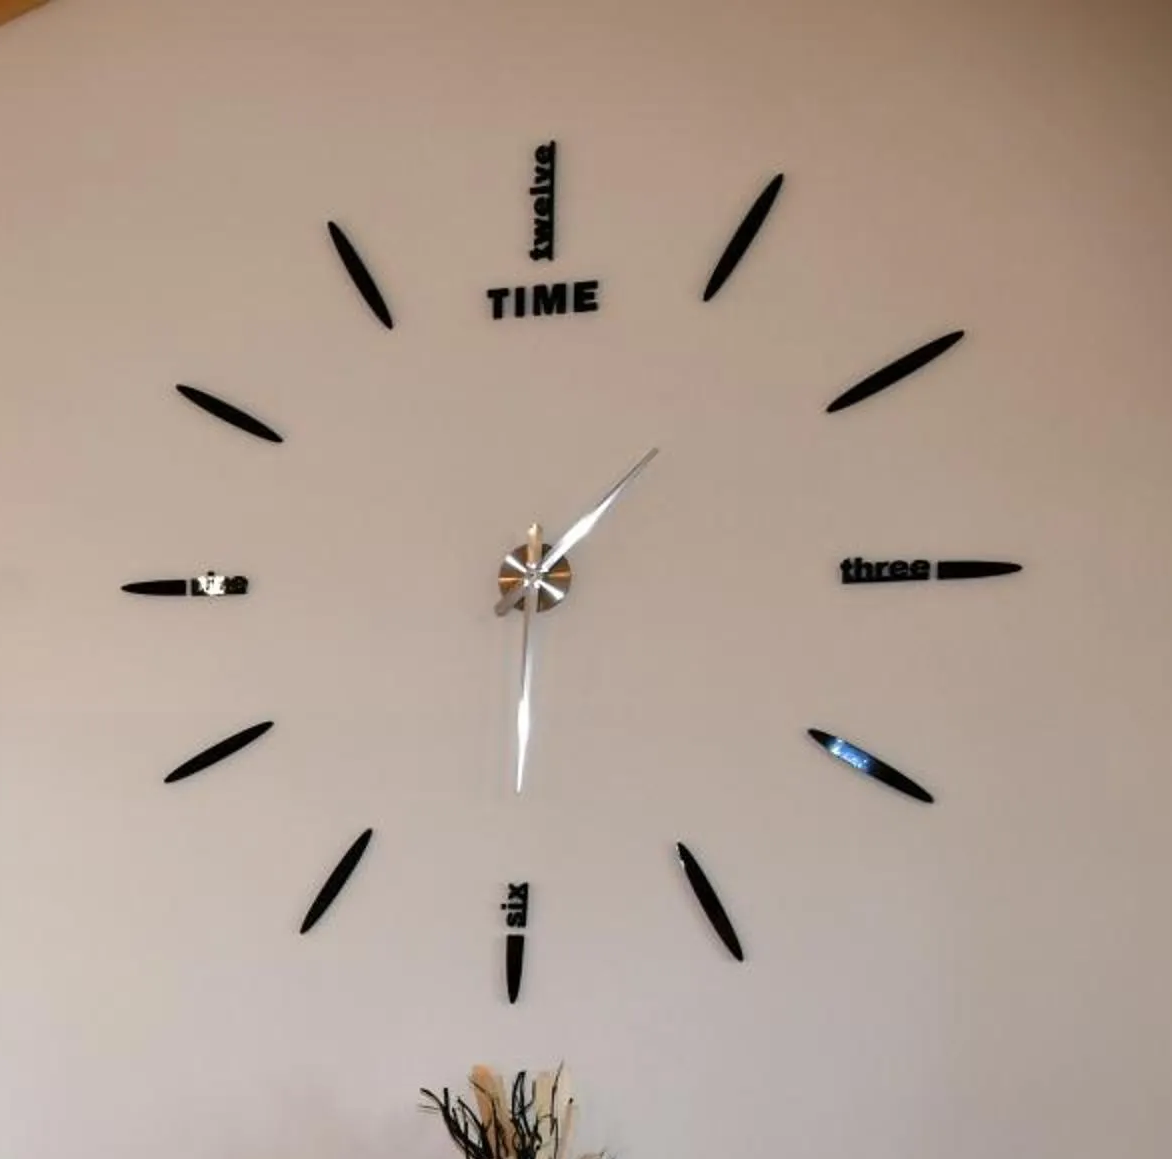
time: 1:30
